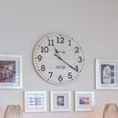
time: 11:20
